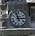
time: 11:14
